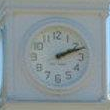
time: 2:11
